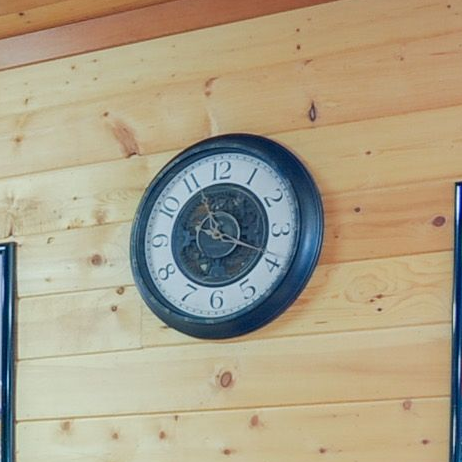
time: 11:18
